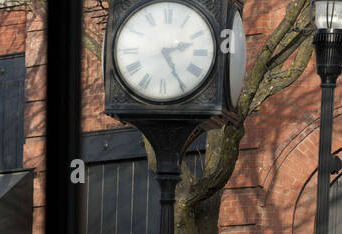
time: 2:24
